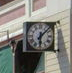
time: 6:07
